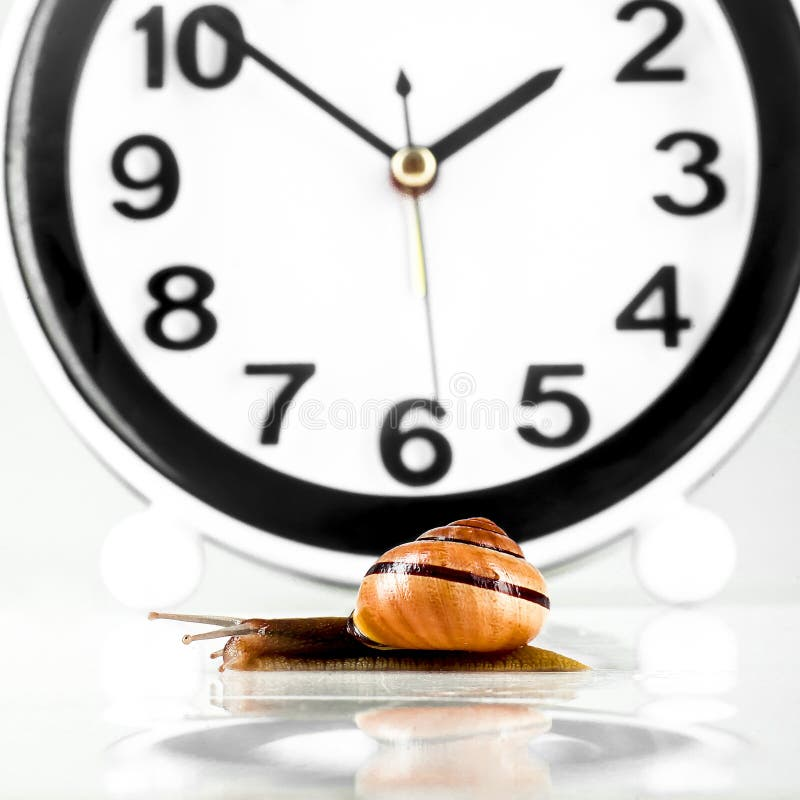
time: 1:51
